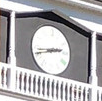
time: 2:42
